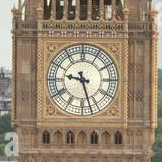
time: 9:27
